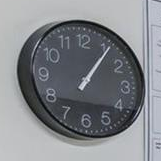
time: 1:06
